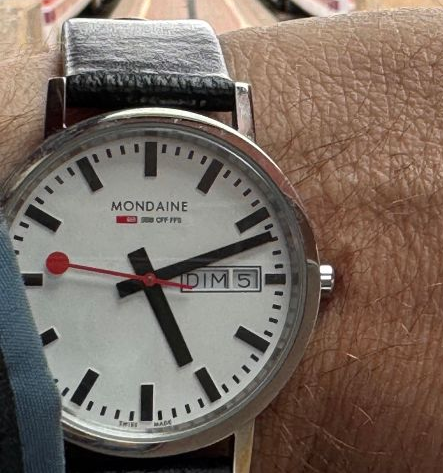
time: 5:11
